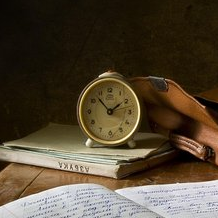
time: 1:52
